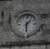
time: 1:30
